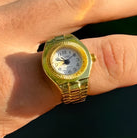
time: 9:08
